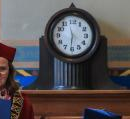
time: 11:31
